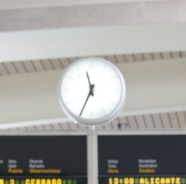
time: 11:34
